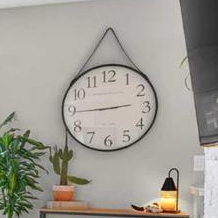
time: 2:44
